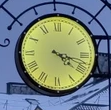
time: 4:18
